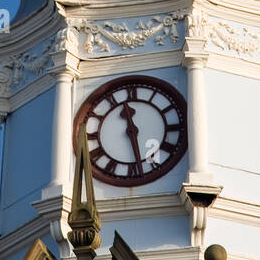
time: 11:28
